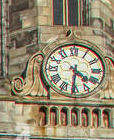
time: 4:31
